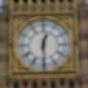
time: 12:29
